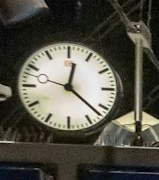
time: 12:22
